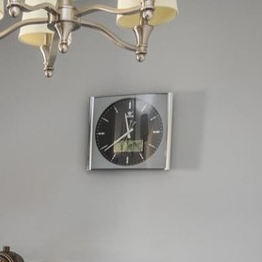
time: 11:39
